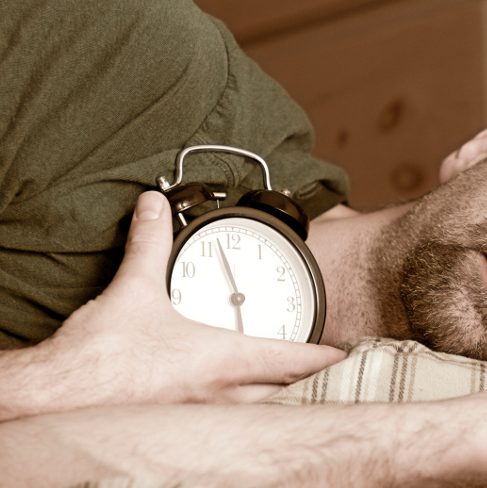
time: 5:57
